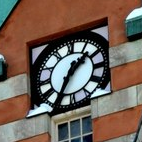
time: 1:34
